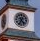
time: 4:34
